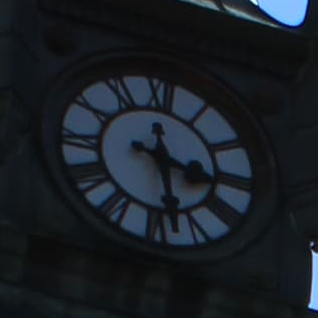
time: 3:28
